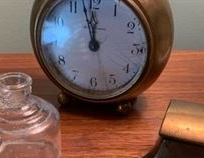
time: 11:57
